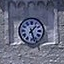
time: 1:26
